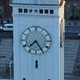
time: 7:24
